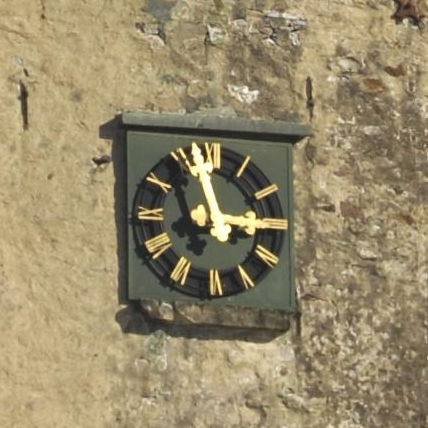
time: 2:57
